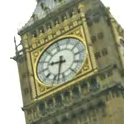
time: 9:33
